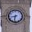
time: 8:32
